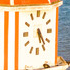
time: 5:23
